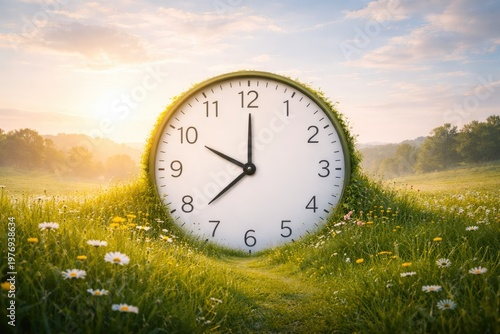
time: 10:00
